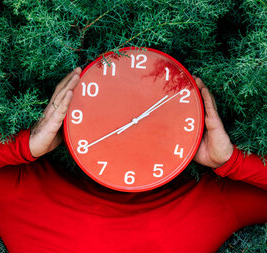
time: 1:39
